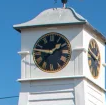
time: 1:46
